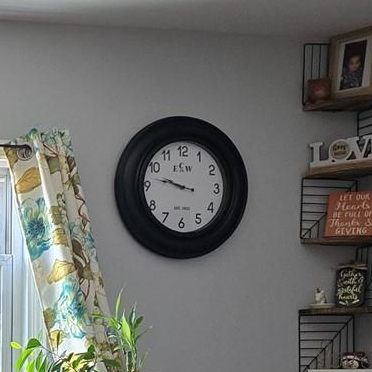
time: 9:47
